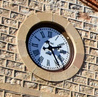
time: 2:24
